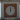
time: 12:00
